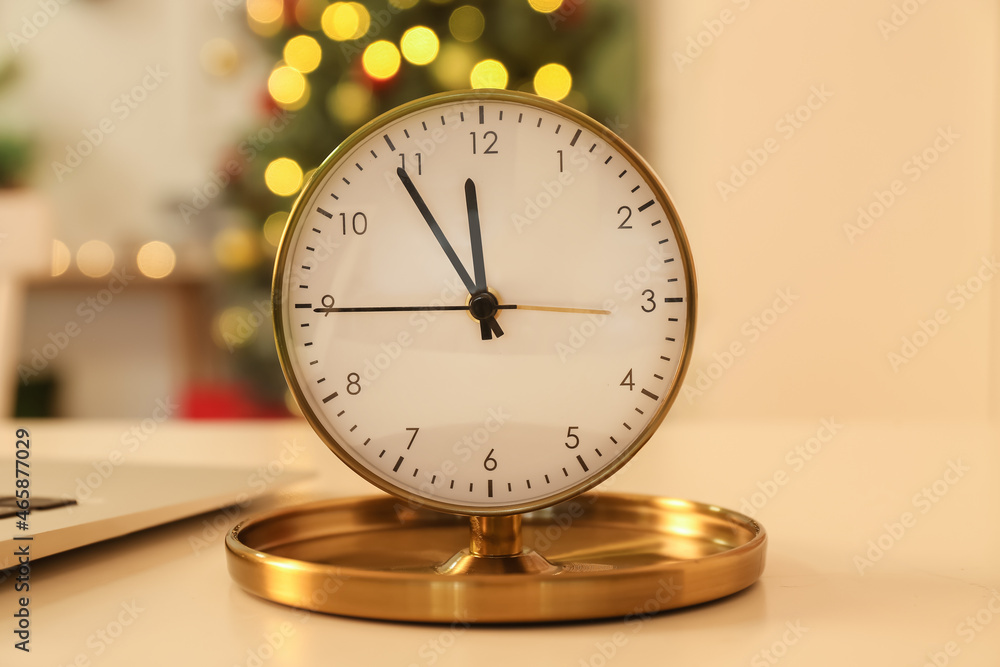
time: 11:54
